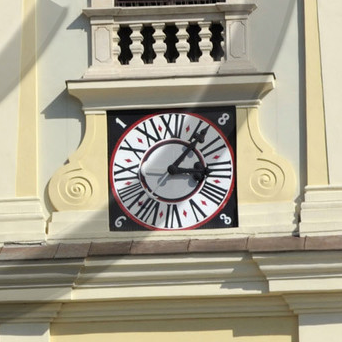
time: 3:06
